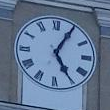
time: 5:04
